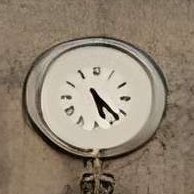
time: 5:22
